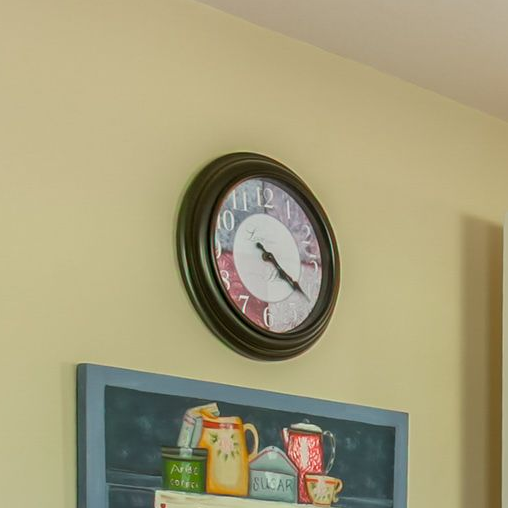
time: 4:20
